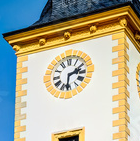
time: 2:31
